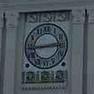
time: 2:44
